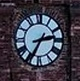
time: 2:34
